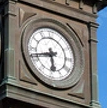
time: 5:41
